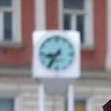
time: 8:35
